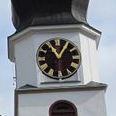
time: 11:05
